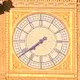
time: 7:39
